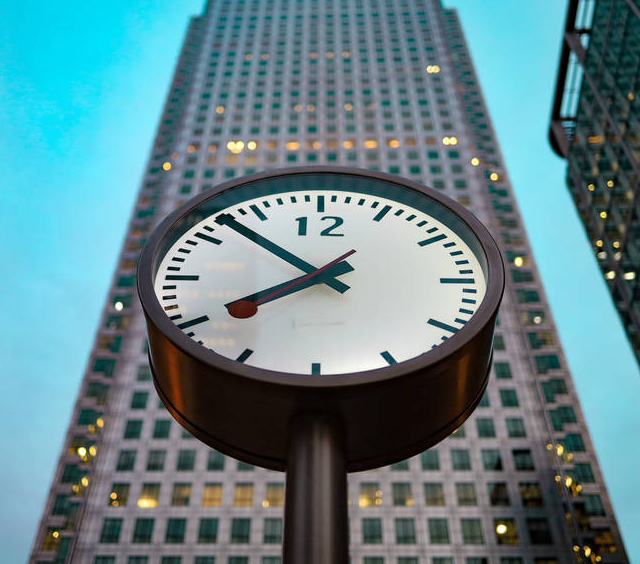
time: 7:52
